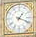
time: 1:18
